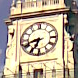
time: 6:41
